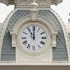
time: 11:00
